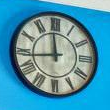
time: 11:43
